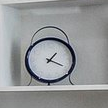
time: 1:18
